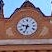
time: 6:47
